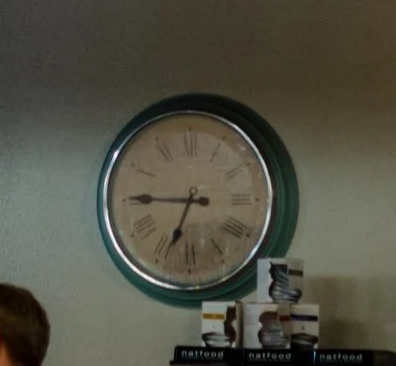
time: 6:45
